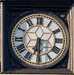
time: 6:29
